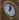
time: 1:01
